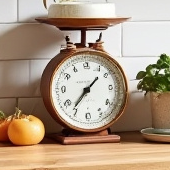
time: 1:36
